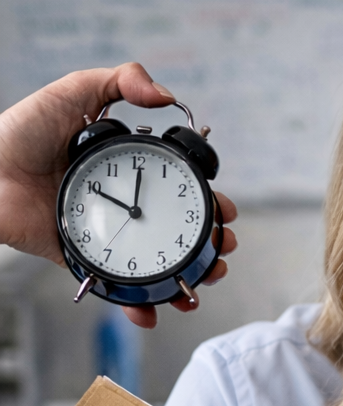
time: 10:00
